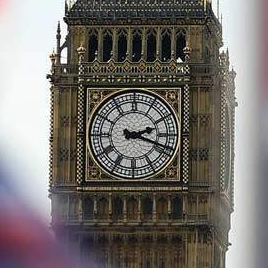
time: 2:18
